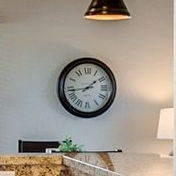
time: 1:43
